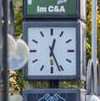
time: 12:26
